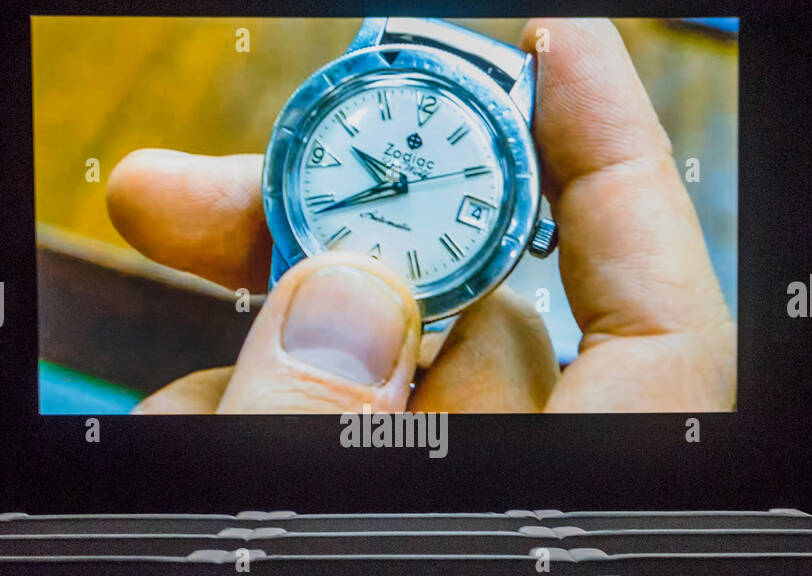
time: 10:43
